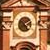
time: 2:23
